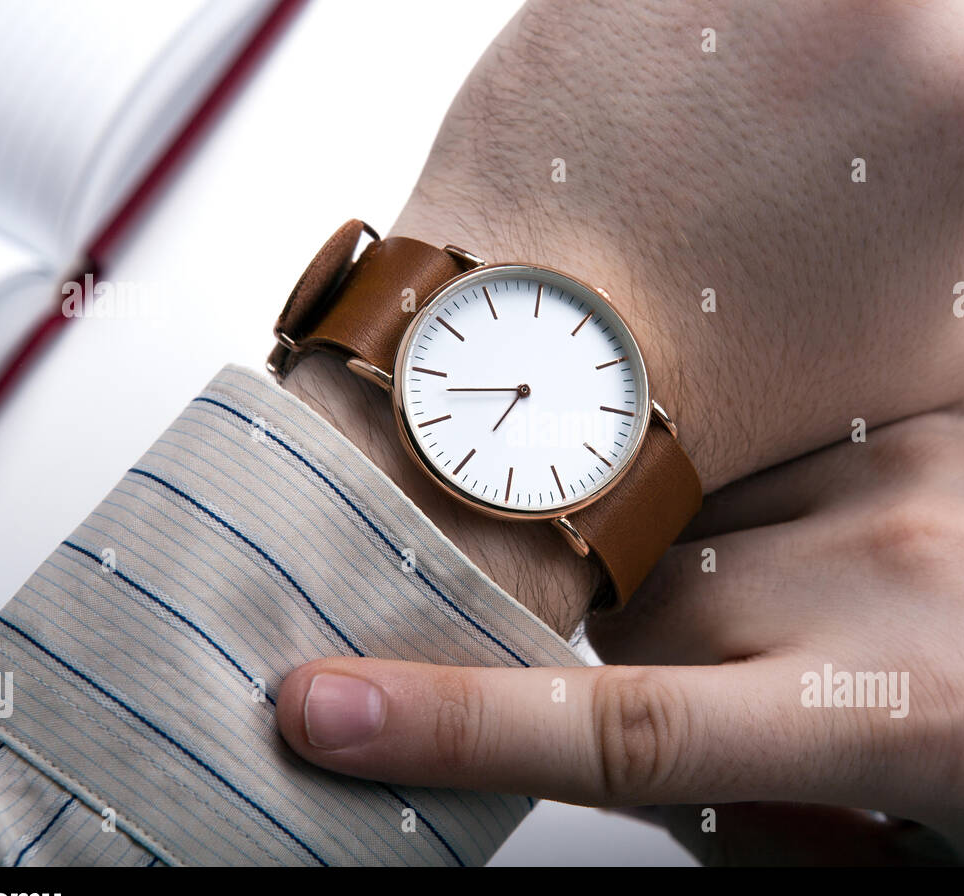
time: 6:43
